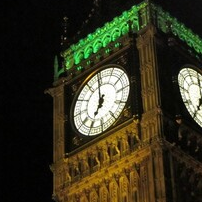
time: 6:59
